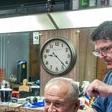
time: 9:22
